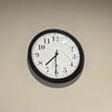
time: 7:30
